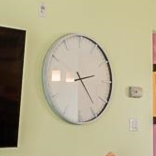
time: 2:23
